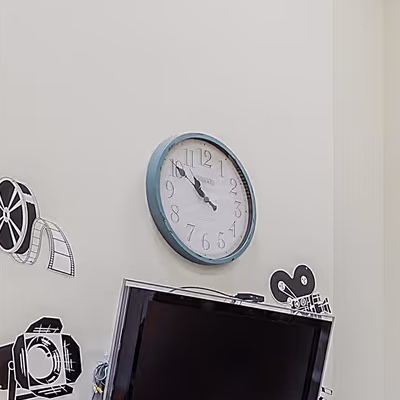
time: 9:50
